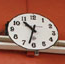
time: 10:32
